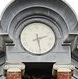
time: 2:28
